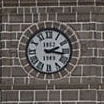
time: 2:16
